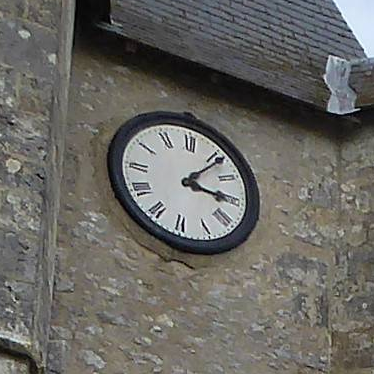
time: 3:06
